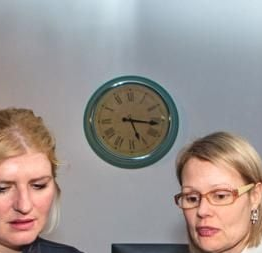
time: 5:16
